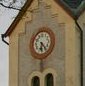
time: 6:23
